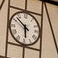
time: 5:51
